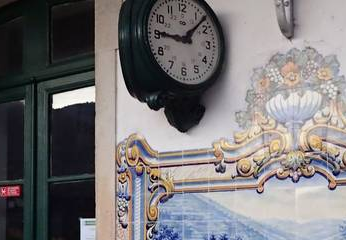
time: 9:07
